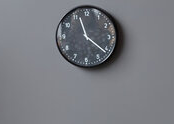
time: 11:21
